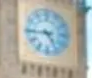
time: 4:45
